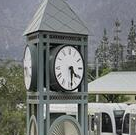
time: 4:29
